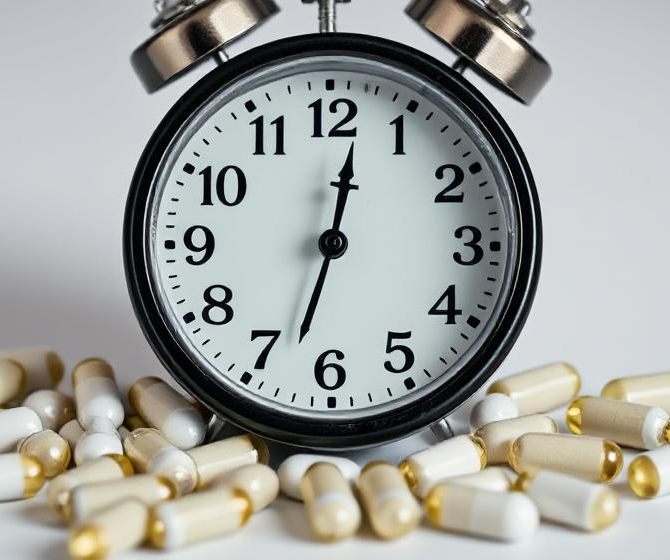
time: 12:32
